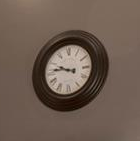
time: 9:45
